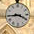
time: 3:44
